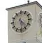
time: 4:28
